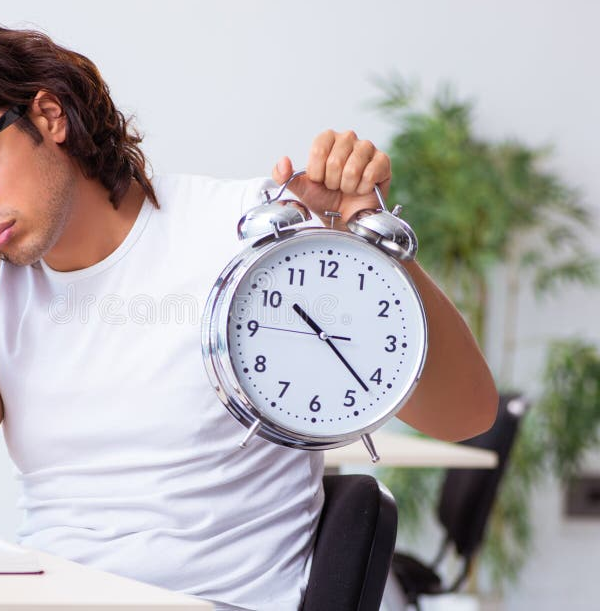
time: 10:22
